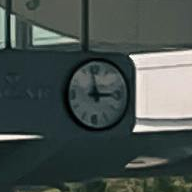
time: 2:58
